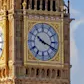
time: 10:18
